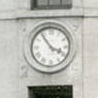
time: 3:54
